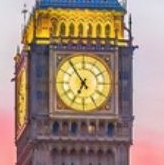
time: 6:53
